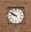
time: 9:50
